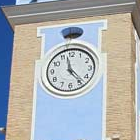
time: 11:23
